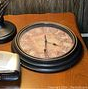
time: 3:29
